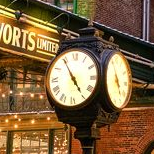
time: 4:54
